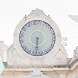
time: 6:32
